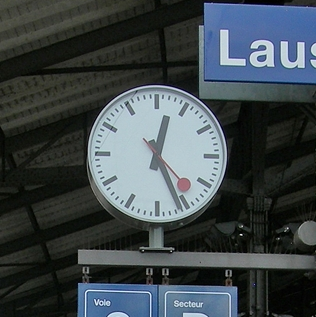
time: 12:26
